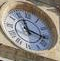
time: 11:16
